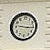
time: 9:15
